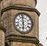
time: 5:58
